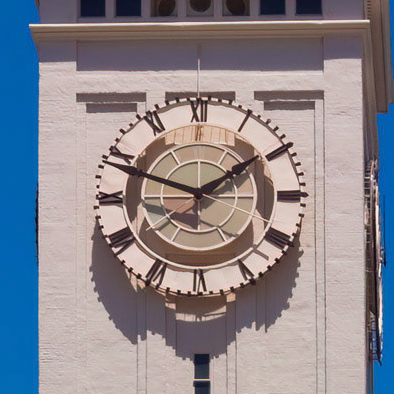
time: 1:48
